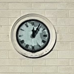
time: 12:05
